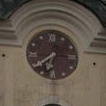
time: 6:38
